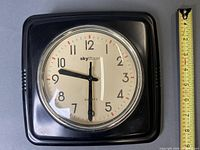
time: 9:30
